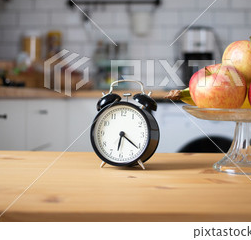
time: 6:21
